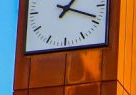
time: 1:18
